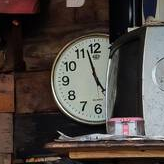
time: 4:57
